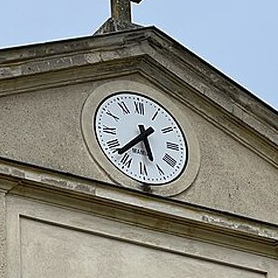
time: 5:37
